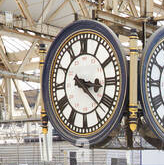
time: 3:21
